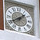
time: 1:40
